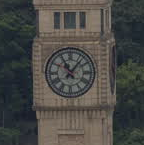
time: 11:06
